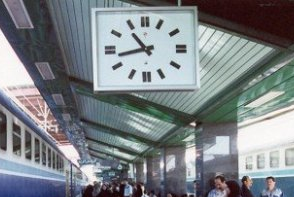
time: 10:42
